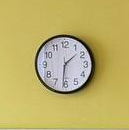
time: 1:31
